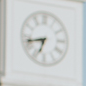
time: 6:42
